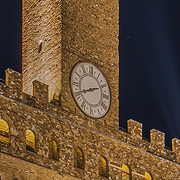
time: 8:11
